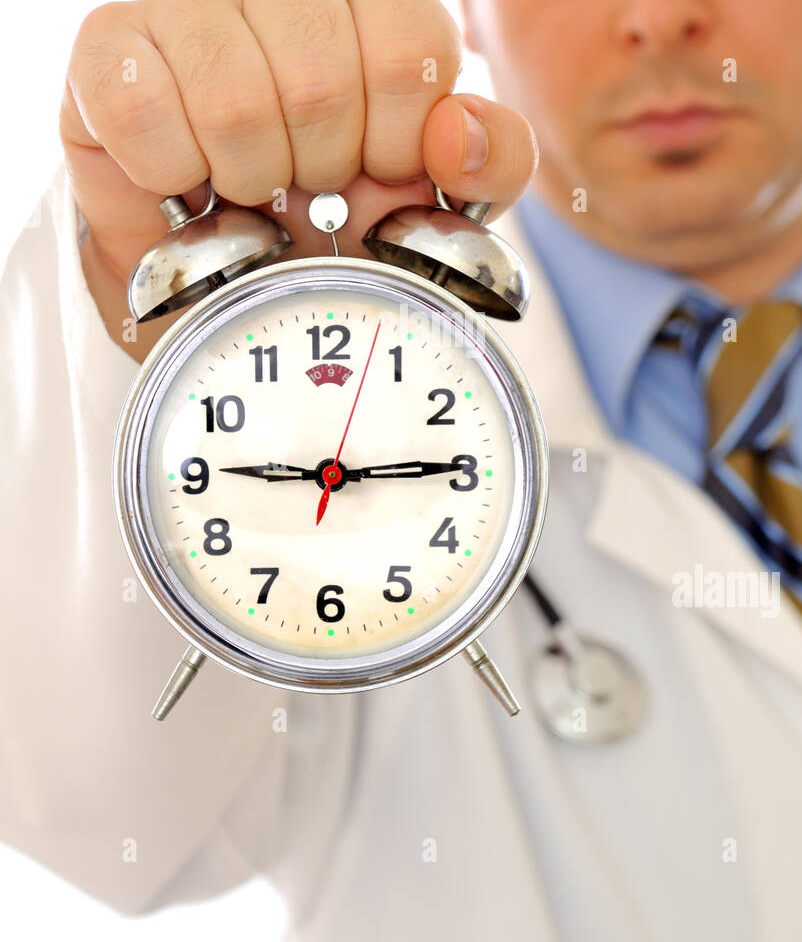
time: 9:14
